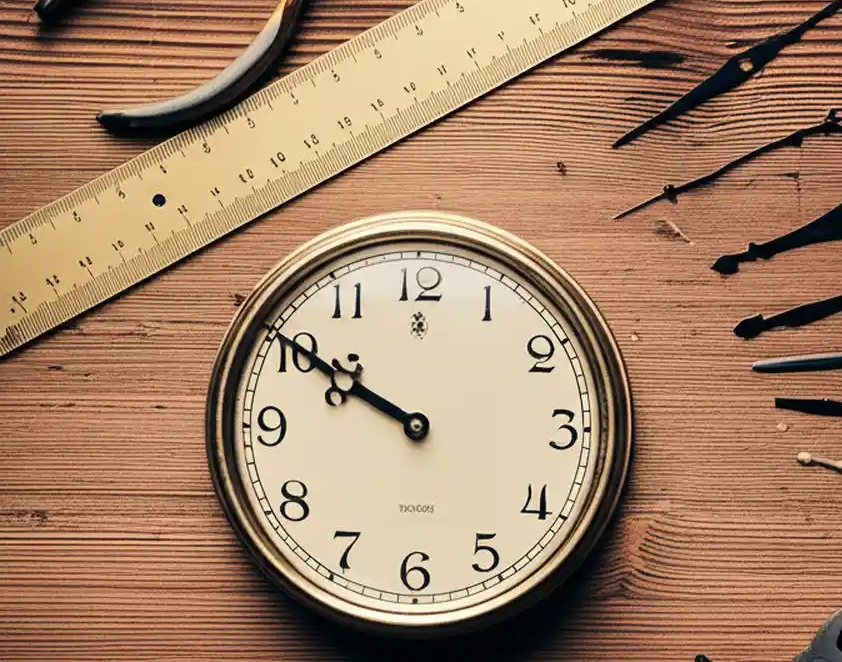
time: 9:50
